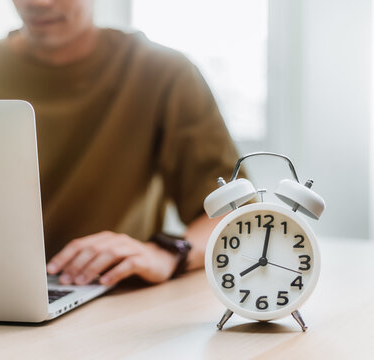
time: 8:01
